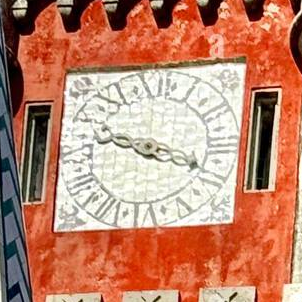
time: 9:18
